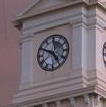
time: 4:49
